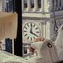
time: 4:01
